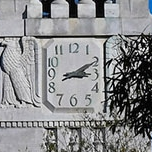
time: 3:10
